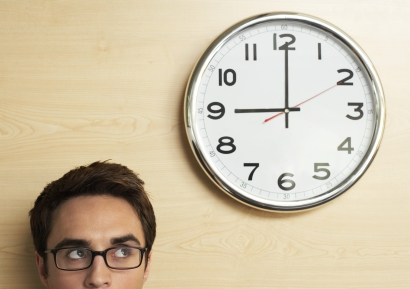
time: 9:00
